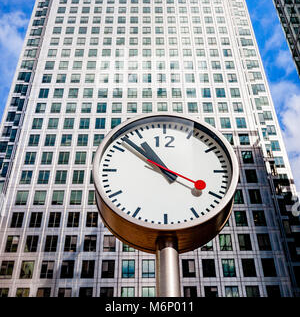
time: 10:52
